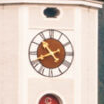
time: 10:41
